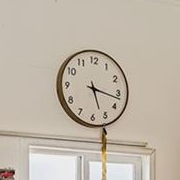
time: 5:16
